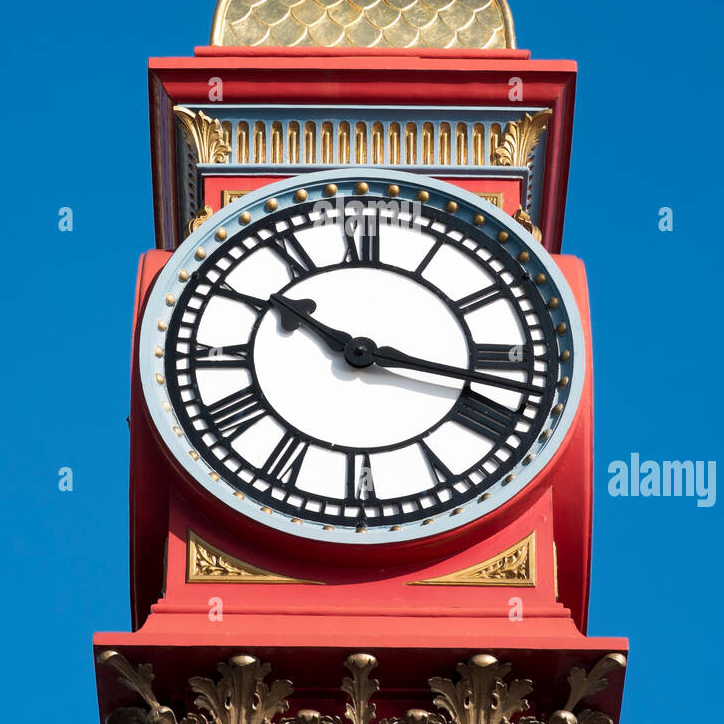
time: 10:17
